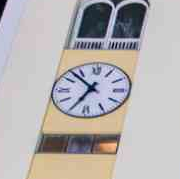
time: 6:52
